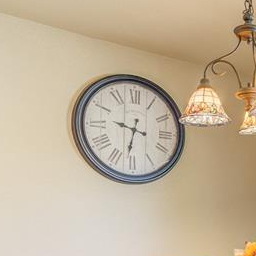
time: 9:31
